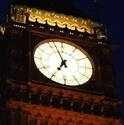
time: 6:56
